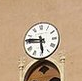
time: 5:46
